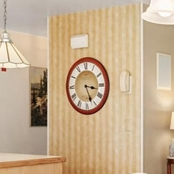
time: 3:26
